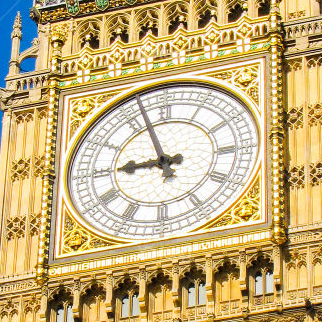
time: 8:57
